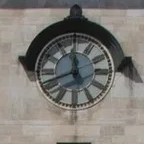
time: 11:41
